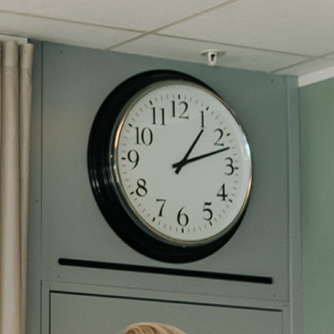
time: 1:11
